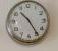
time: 10:24
